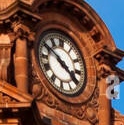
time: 3:50
